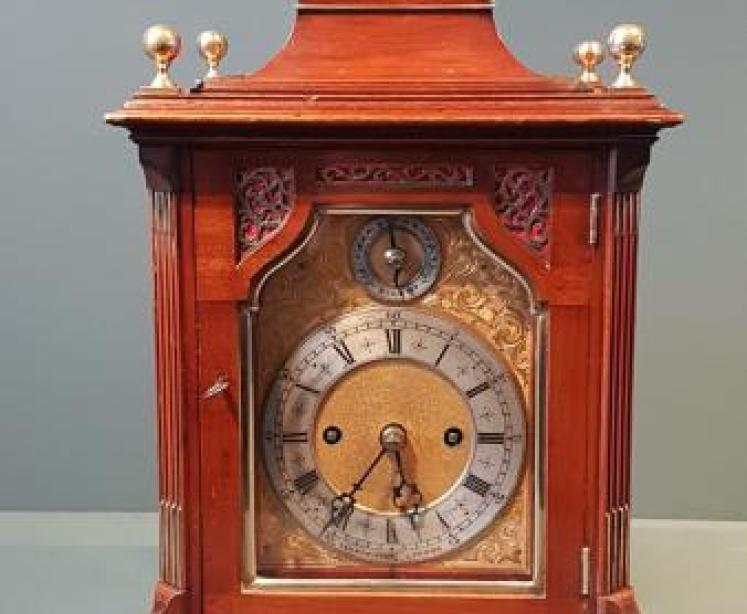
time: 5:36
